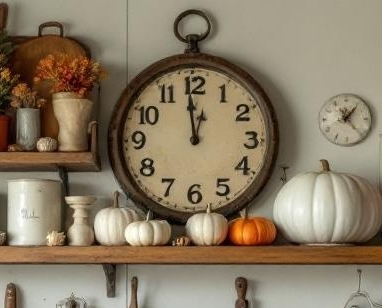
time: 11:59
